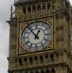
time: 12:53
